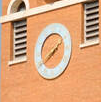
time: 1:39
